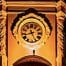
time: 8:26
